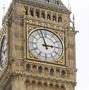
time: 2:57
